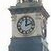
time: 12:12
